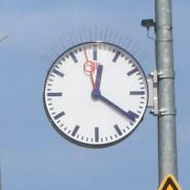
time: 12:20
